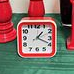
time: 1:18
